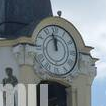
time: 11:57
